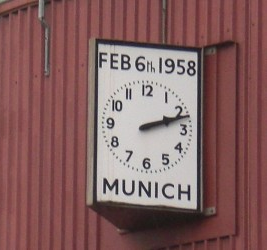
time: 2:12
